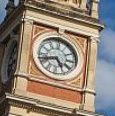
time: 4:42
